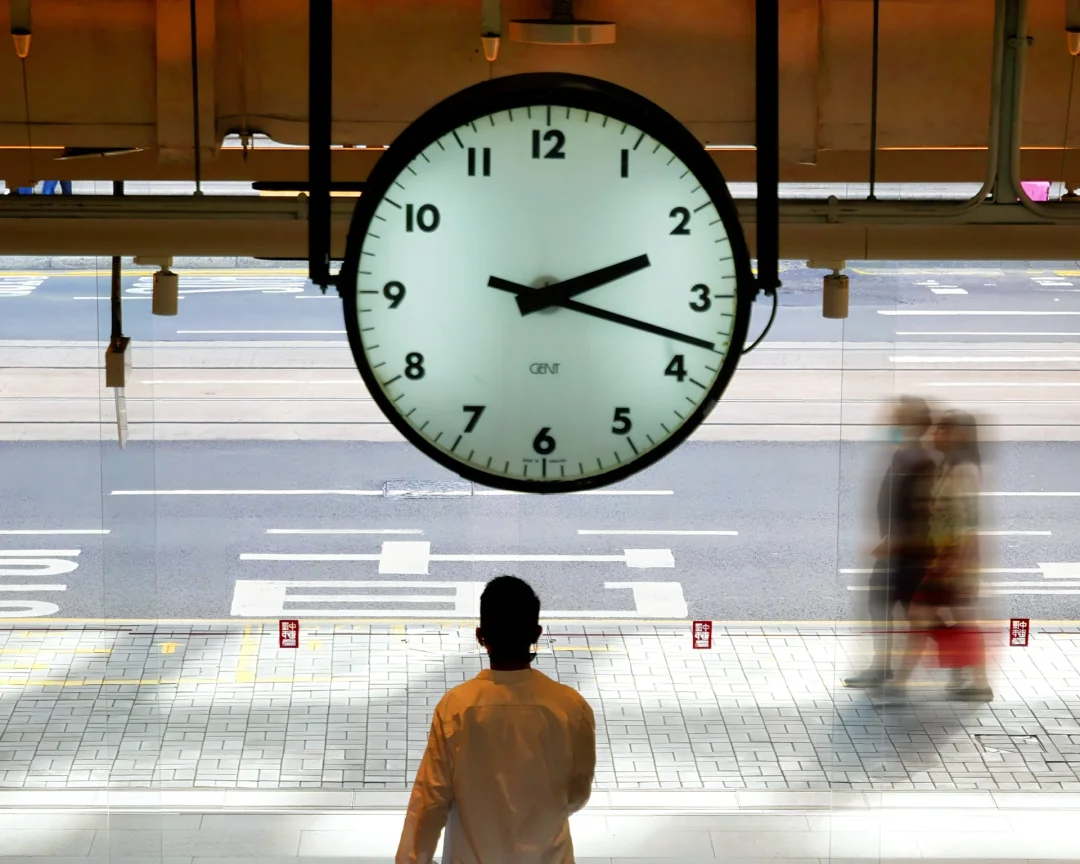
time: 2:17
